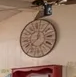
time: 12:37
